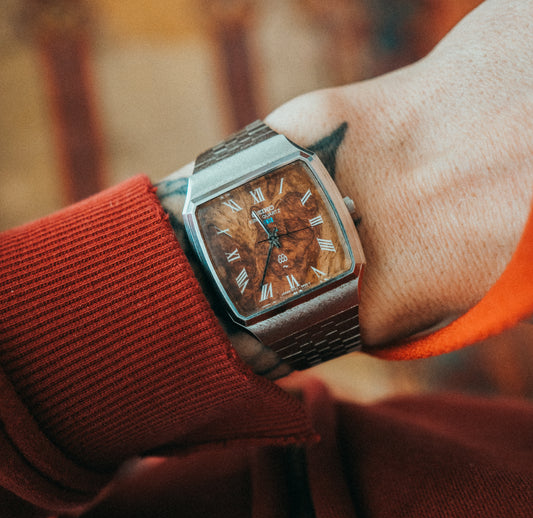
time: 11:35
